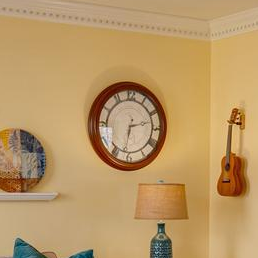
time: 2:31
